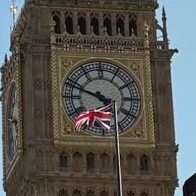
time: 5:48
